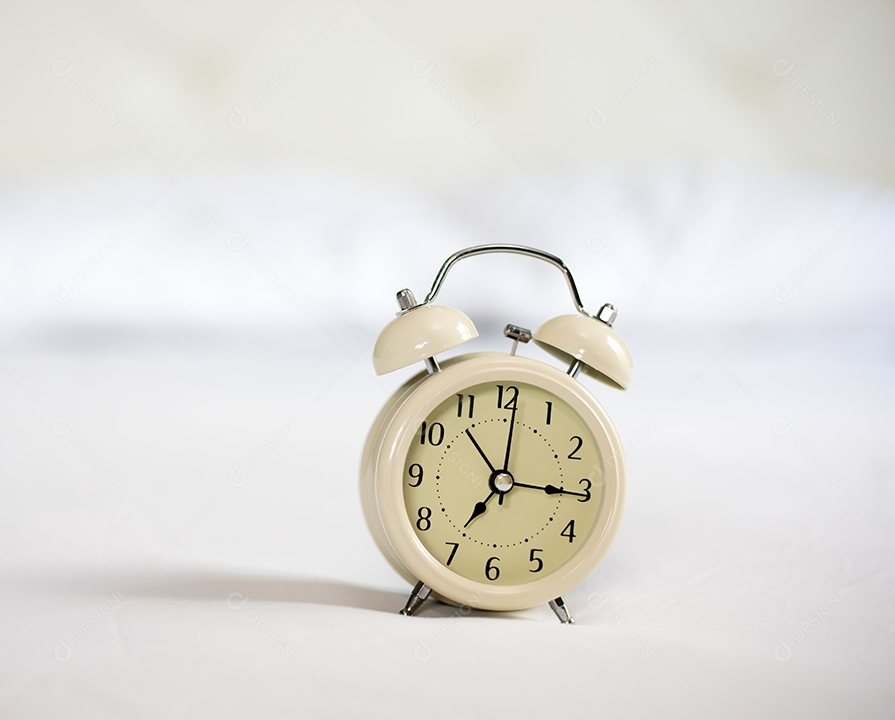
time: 7:15
